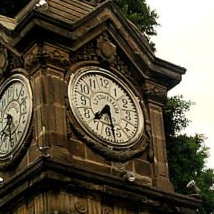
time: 7:28
